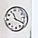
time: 11:19
